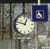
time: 12:47
